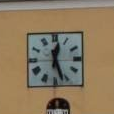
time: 12:26
